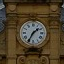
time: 1:35
